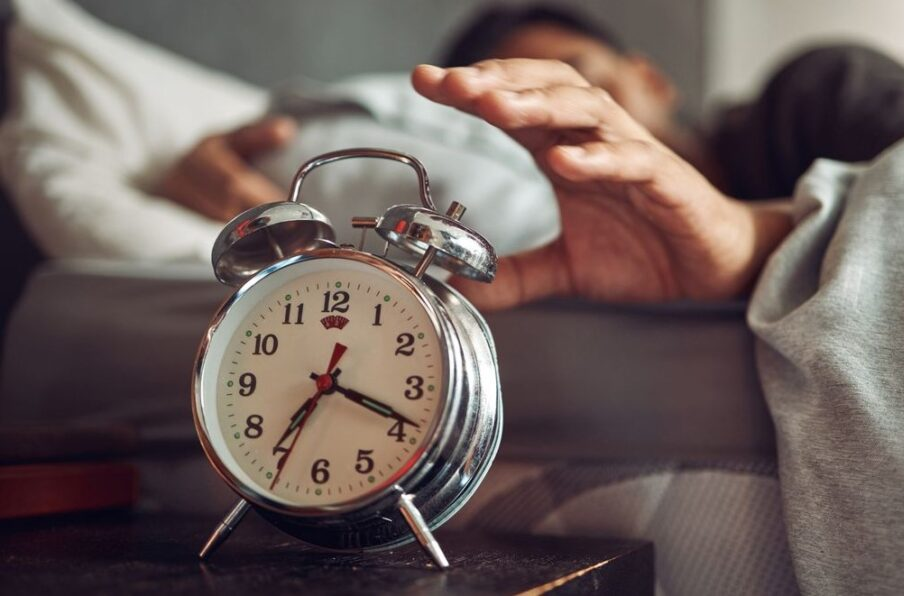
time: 7:18
